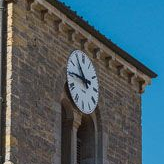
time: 10:45
